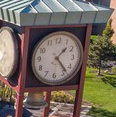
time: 1:23
